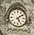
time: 5:08
